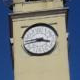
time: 3:43
